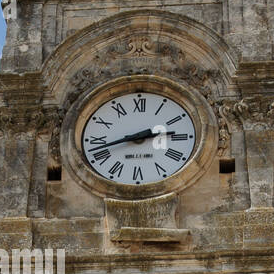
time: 2:42
